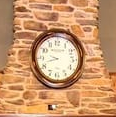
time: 9:42
